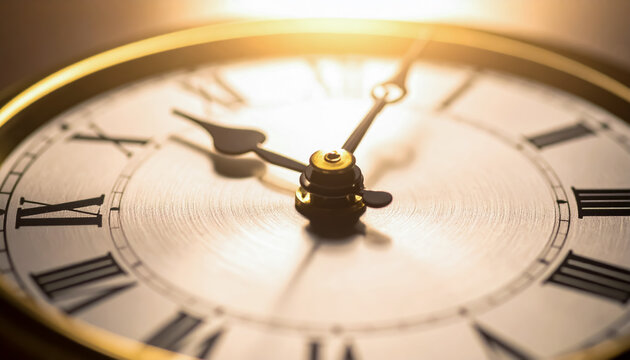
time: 10:02
